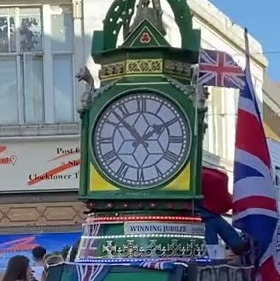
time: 1:52
